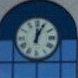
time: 12:04
